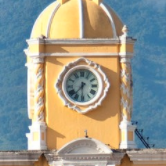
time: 7:30
